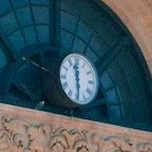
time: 11:29
